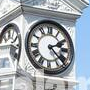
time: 2:22
